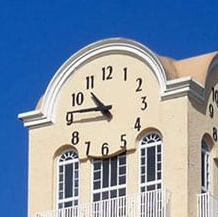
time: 10:46
